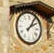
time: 2:06
